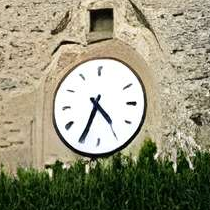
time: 4:34
